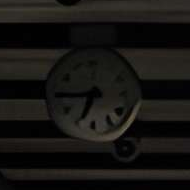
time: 6:44
